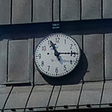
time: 11:14
